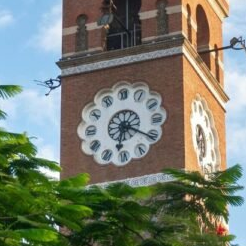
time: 6:20
